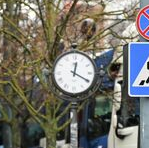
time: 12:19
